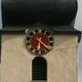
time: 6:21
